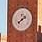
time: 1:38
